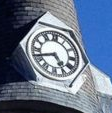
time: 4:42
